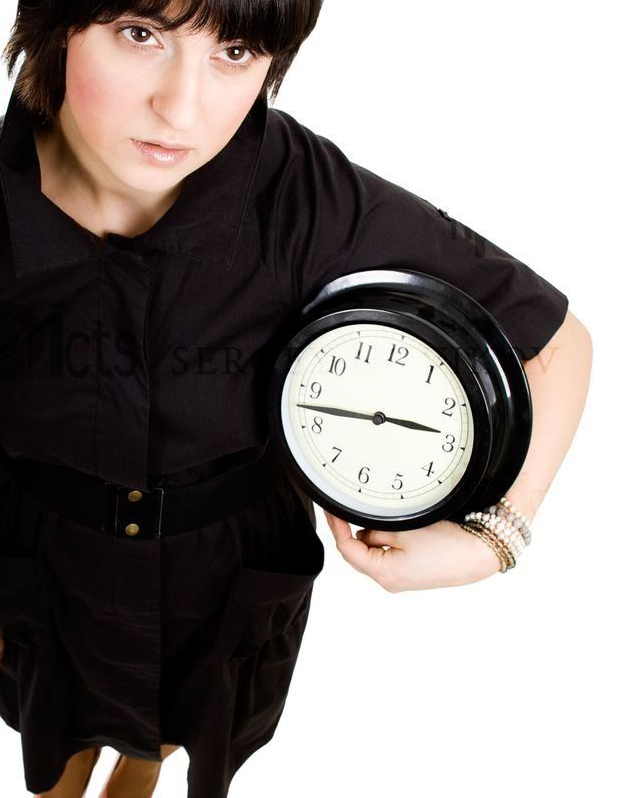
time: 2:42
